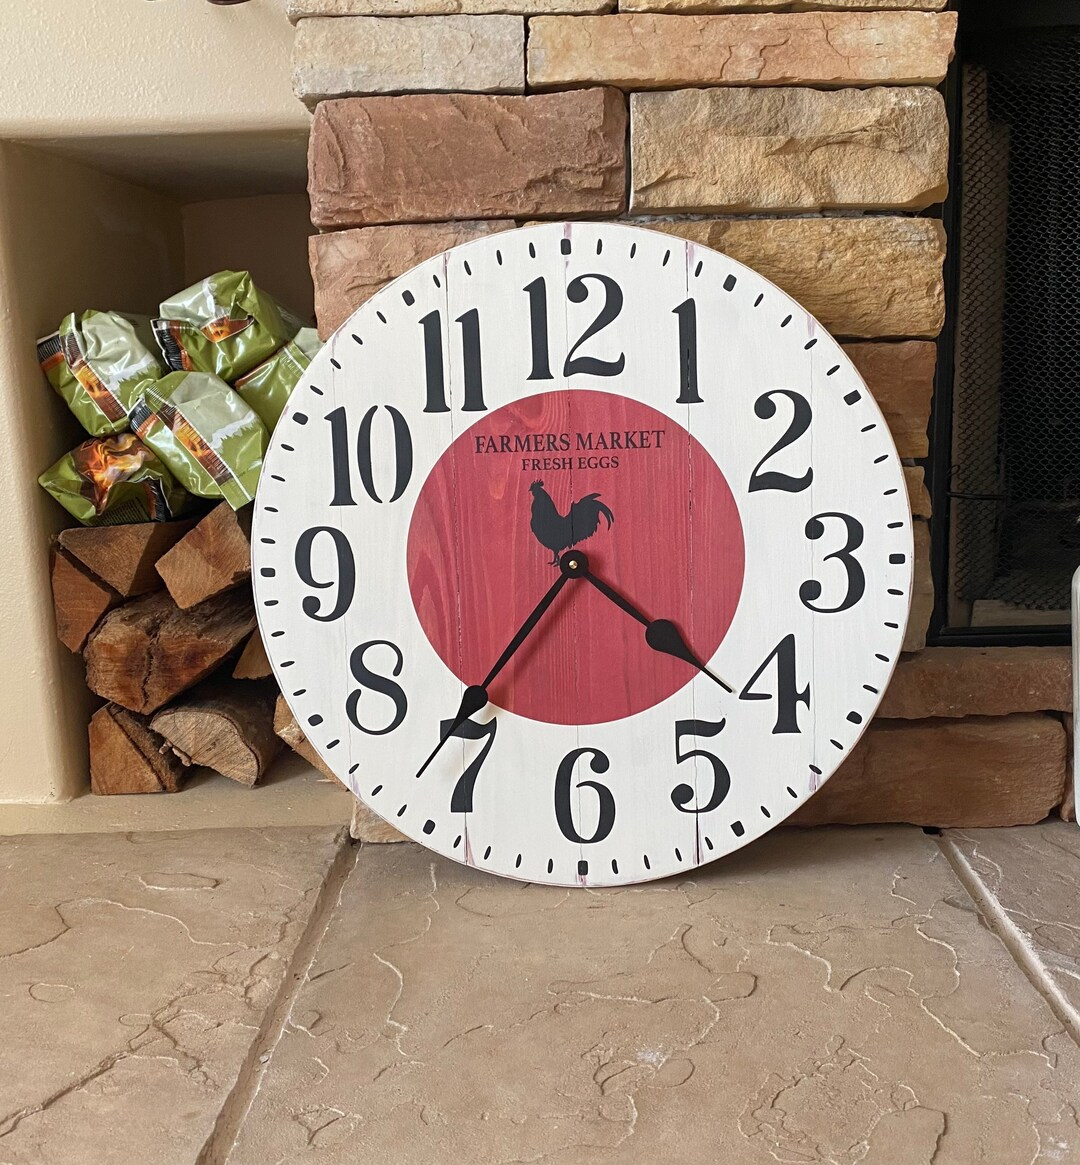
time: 7:21
